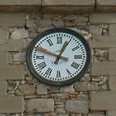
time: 12:48
